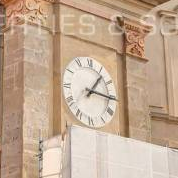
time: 1:15
